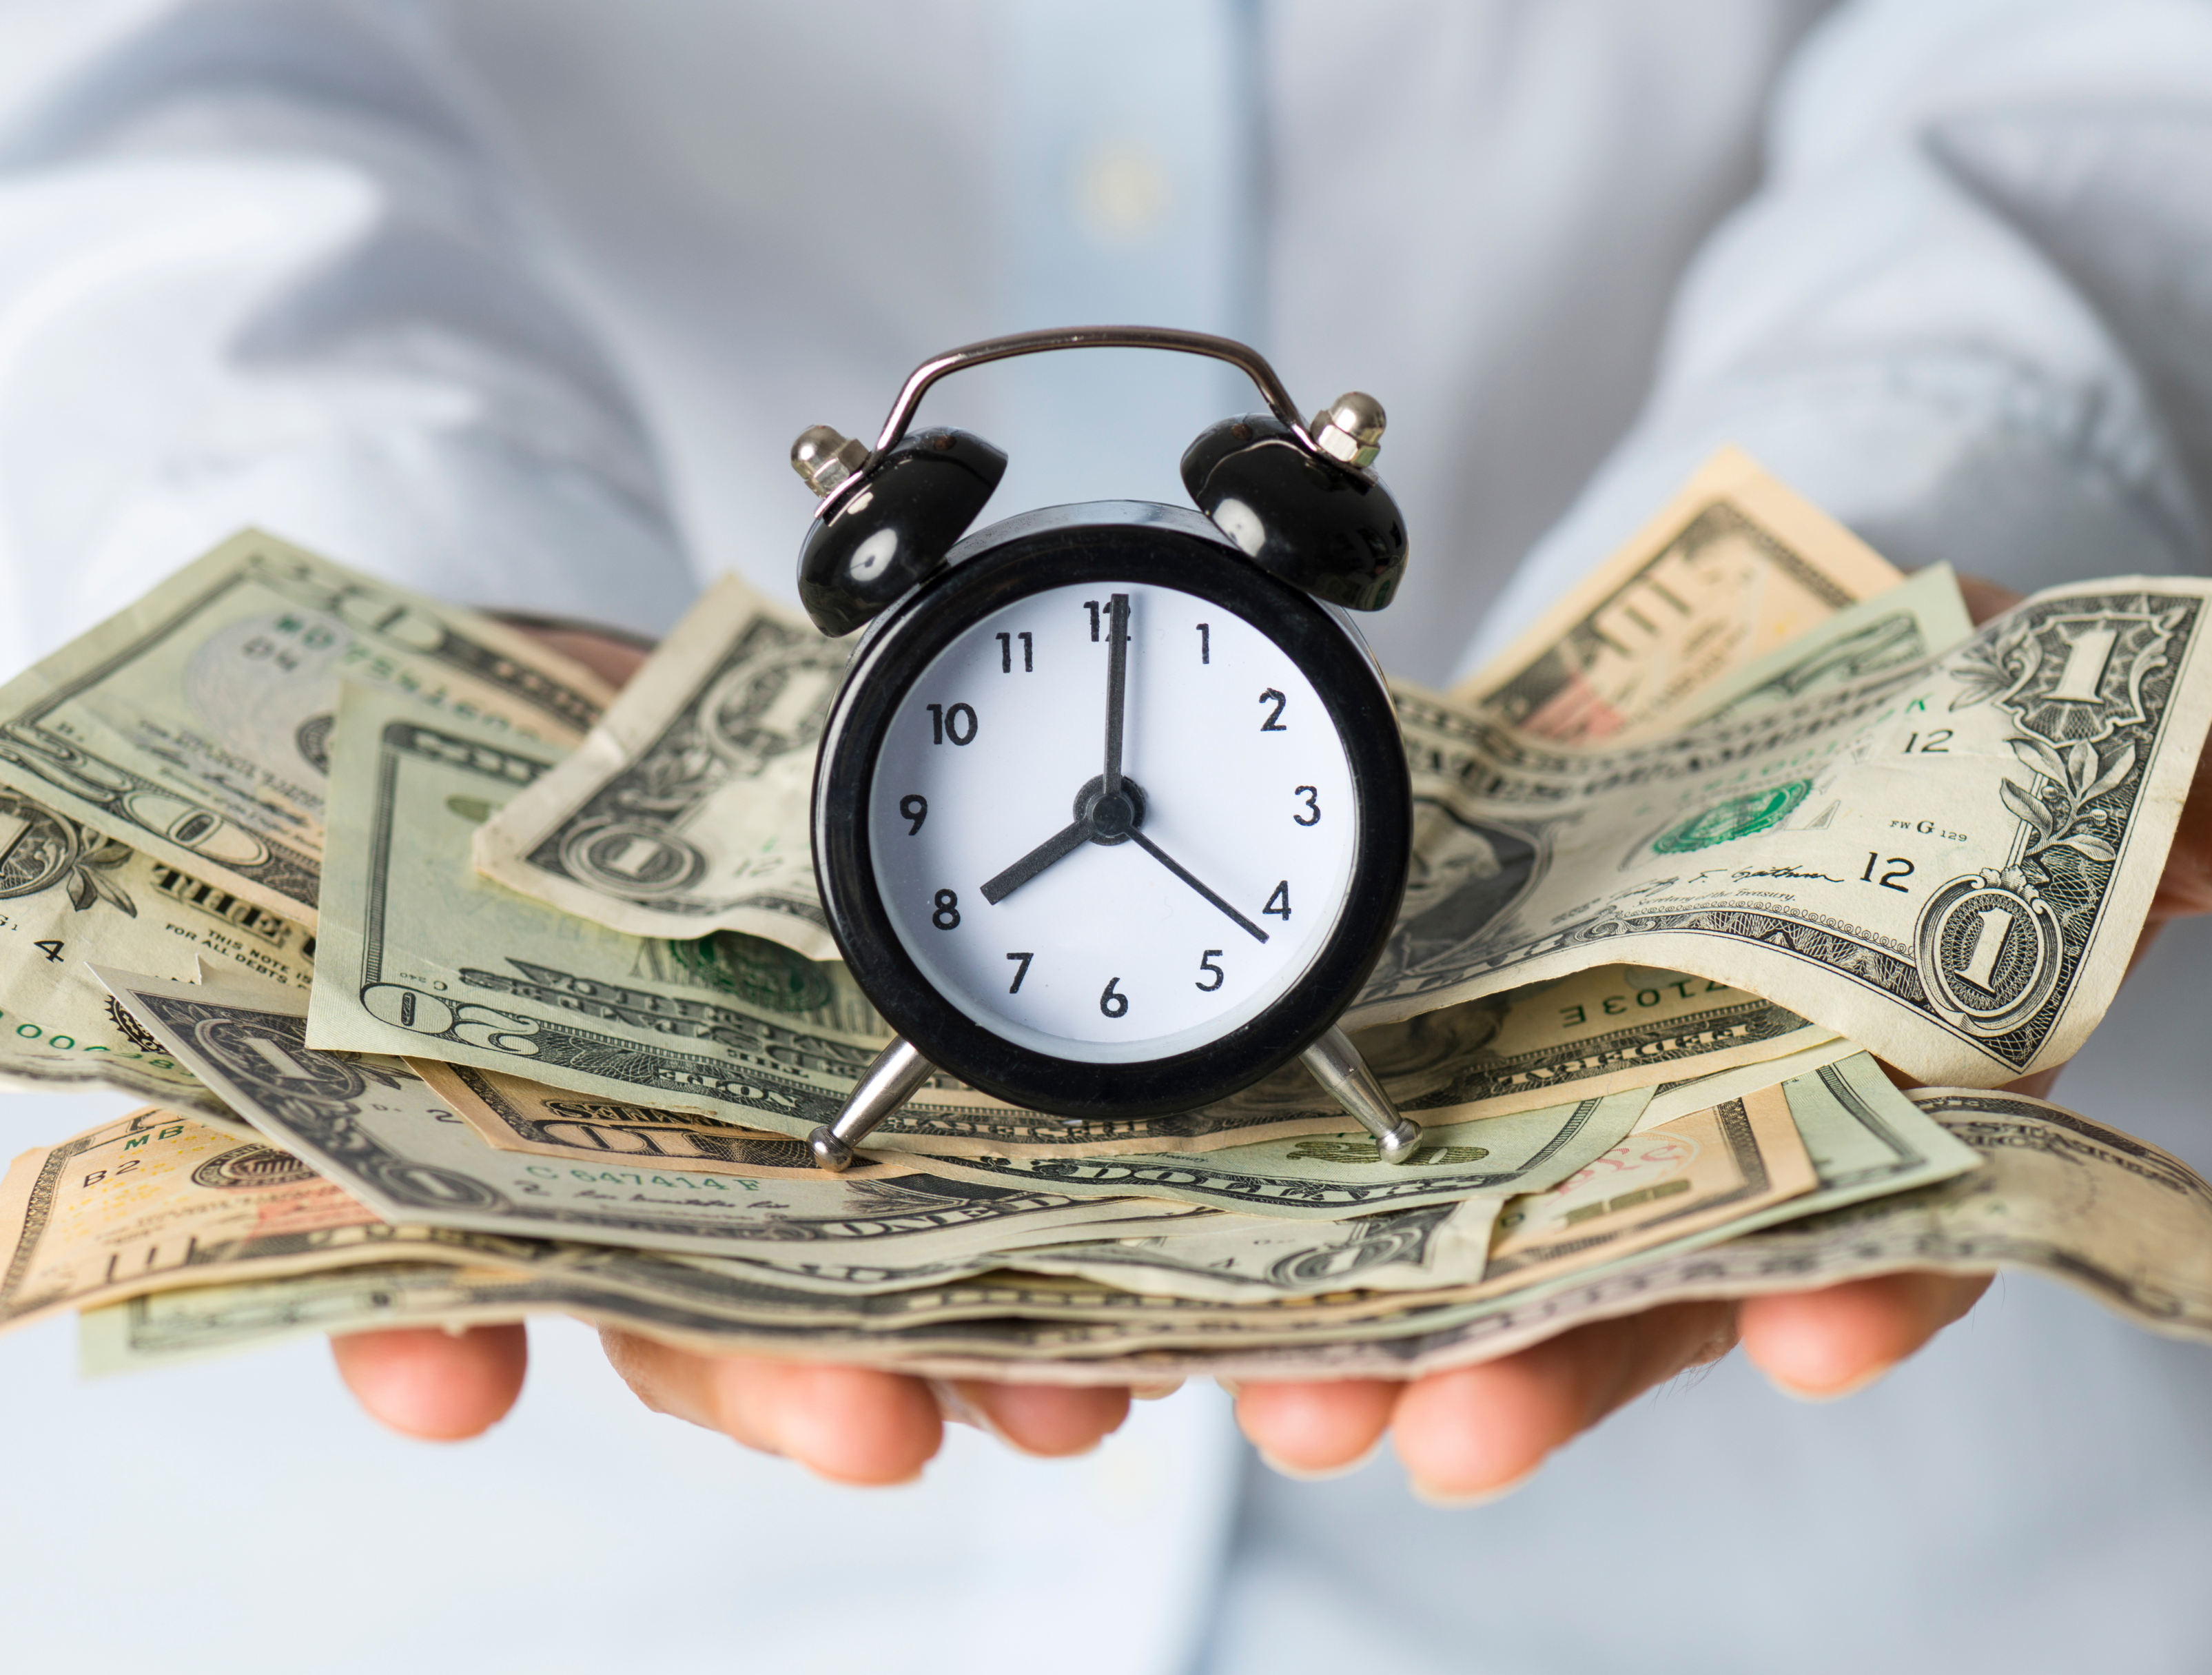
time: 8:01
